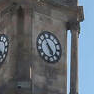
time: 4:54
